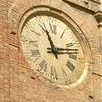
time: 11:12
